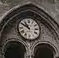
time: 10:50
